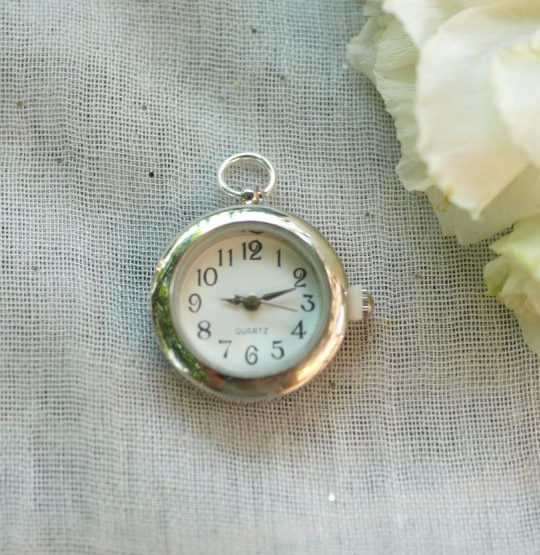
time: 9:11
